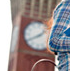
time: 1:40
